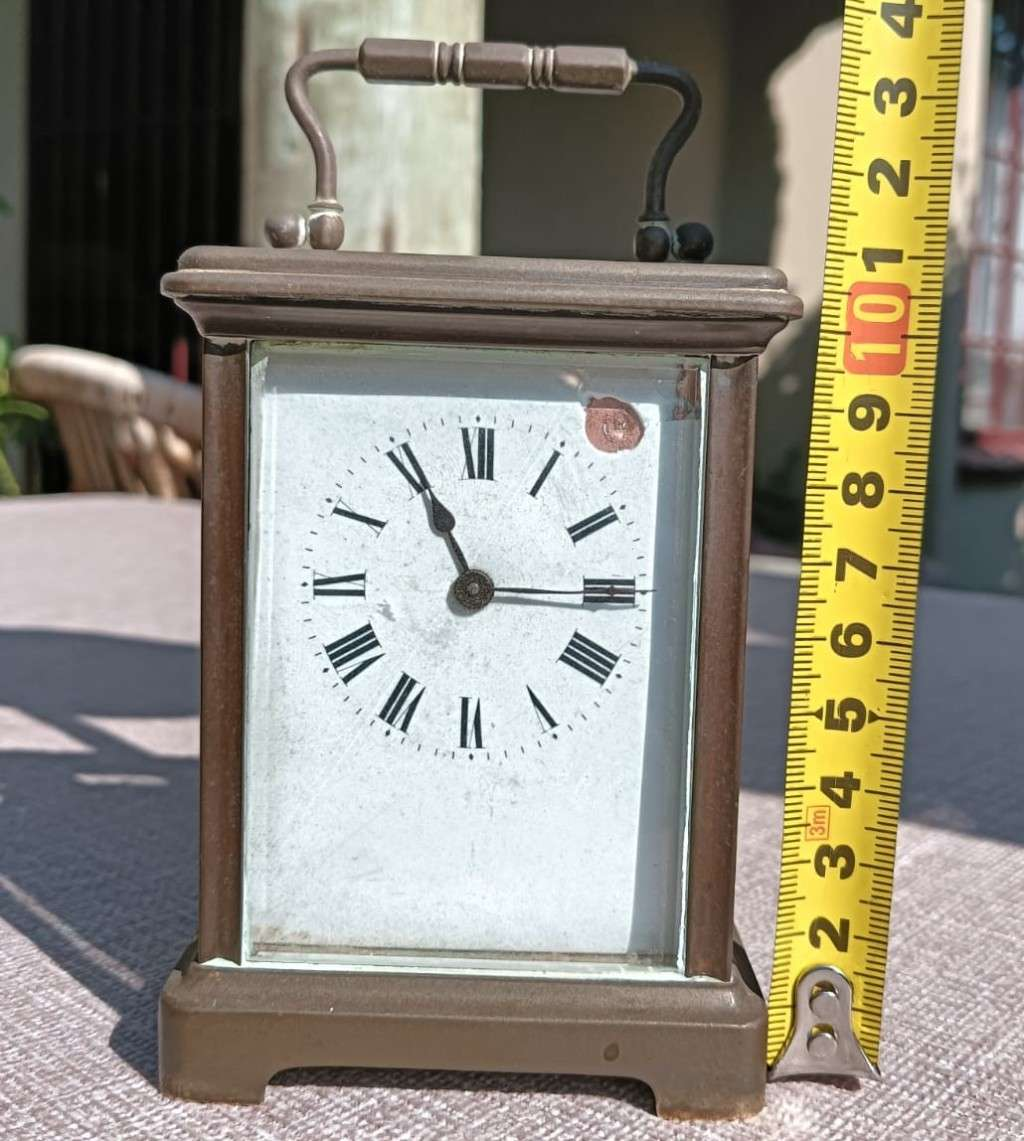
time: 11:13
